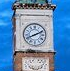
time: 8:11
